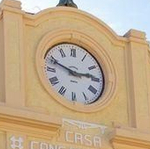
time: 2:48
